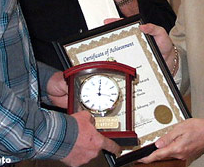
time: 12:16
